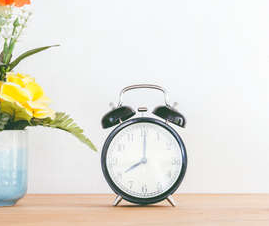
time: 8:01
